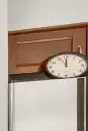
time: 11:55
